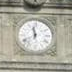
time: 11:40
